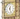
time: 12:26
